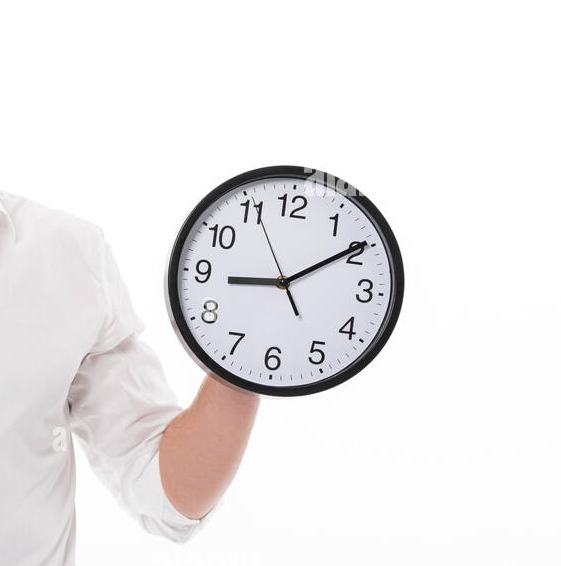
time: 9:09
